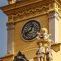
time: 12:40
